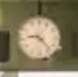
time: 9:23
